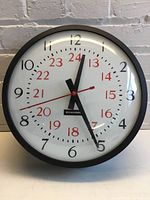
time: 12:25
